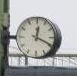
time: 12:19
